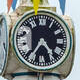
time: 4:36
